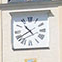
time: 10:39
